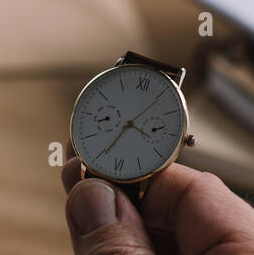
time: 3:34
